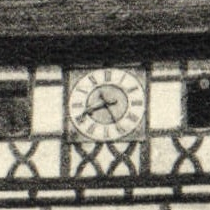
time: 8:25
